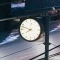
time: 7:47
